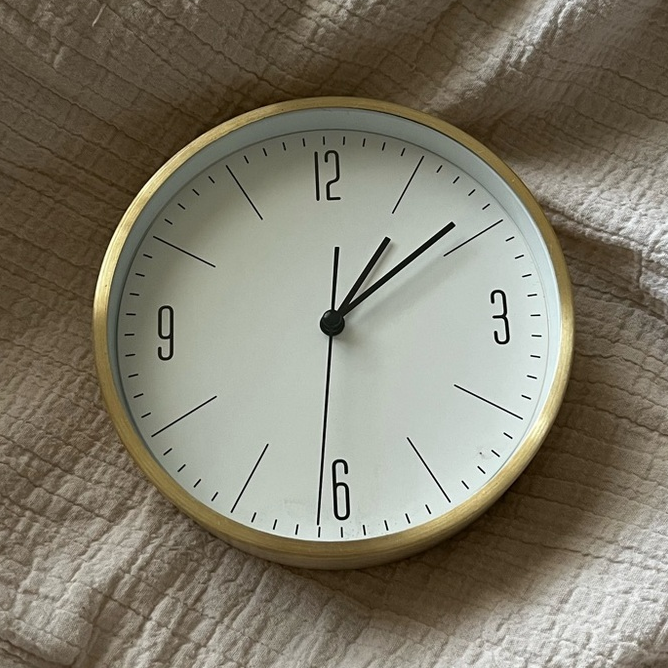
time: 1:09
